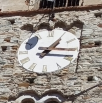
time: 1:16
